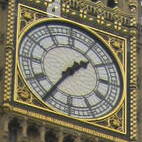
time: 1:35
